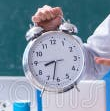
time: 8:32
